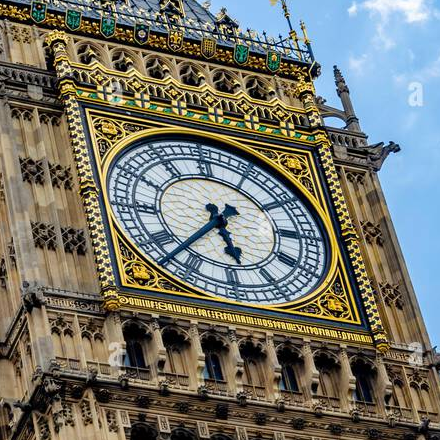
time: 5:37
